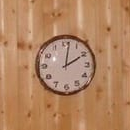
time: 2:01
